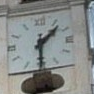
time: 1:30
